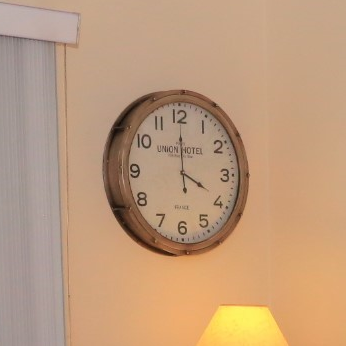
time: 3:59
